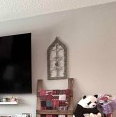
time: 5:59
